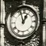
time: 12:57
